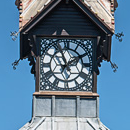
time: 1:56
